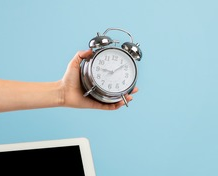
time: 9:08
